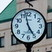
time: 4:57
